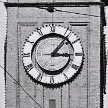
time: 3:06
